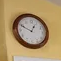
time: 12:49
